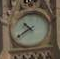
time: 10:39
